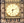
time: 6:12
